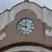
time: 11:48
